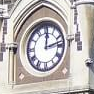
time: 12:12
